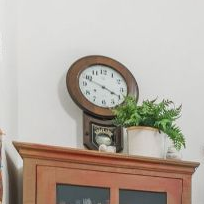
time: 3:48
